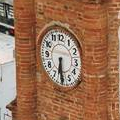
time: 6:29
